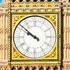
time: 9:51
